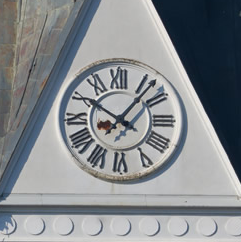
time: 10:07
